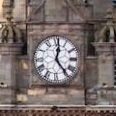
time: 12:23
